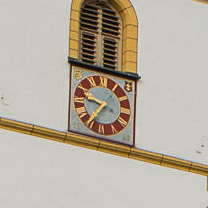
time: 9:36
